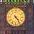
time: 4:23
